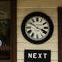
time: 3:50
